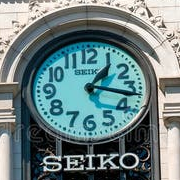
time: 1:16
